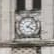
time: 4:07
